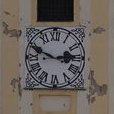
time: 2:48
